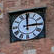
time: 2:59
